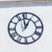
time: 12:58
